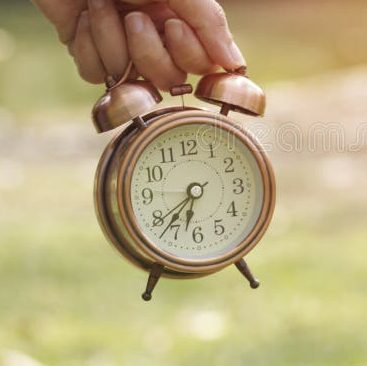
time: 6:37
